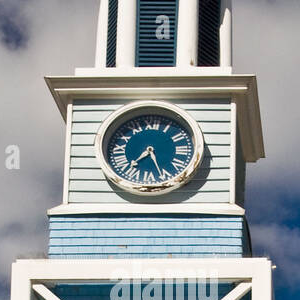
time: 7:26
